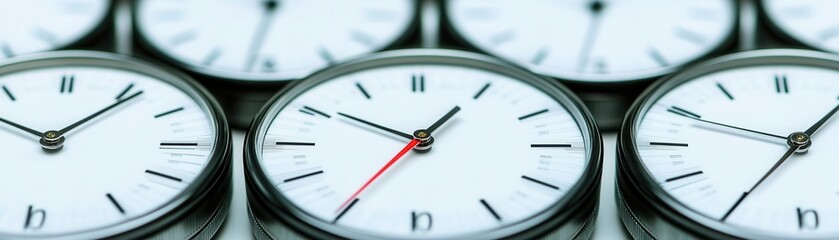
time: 12:50
